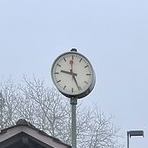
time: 9:25
